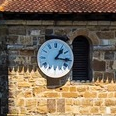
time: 1:16
